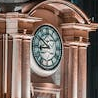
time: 8:51
